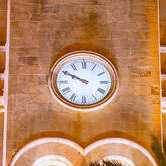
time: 9:49
